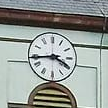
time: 3:43
